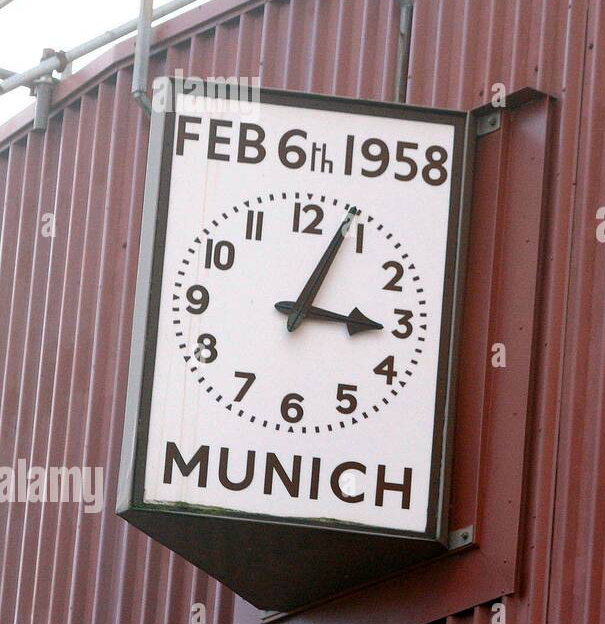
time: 3:04
